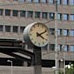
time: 4:10
